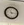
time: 11:16
